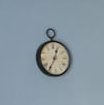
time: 12:35
